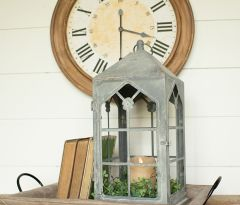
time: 3:29
